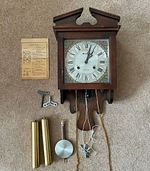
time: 1:02
